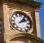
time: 2:06
